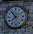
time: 7:52
